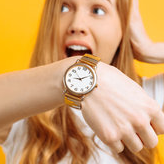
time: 9:12
